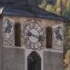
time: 9:17
